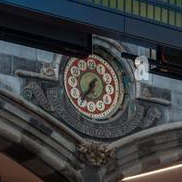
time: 6:36
